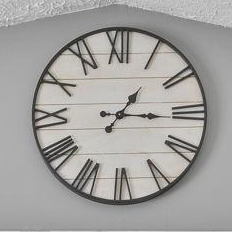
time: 1:15
